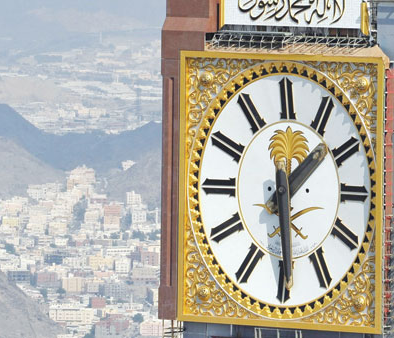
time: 1:29
